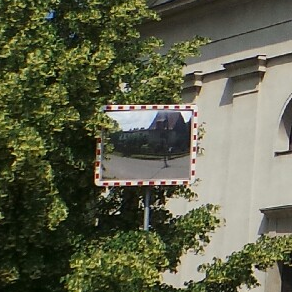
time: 2:45
